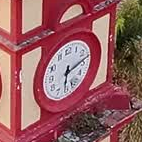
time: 6:13
